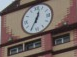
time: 12:35
